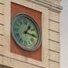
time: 1:16
